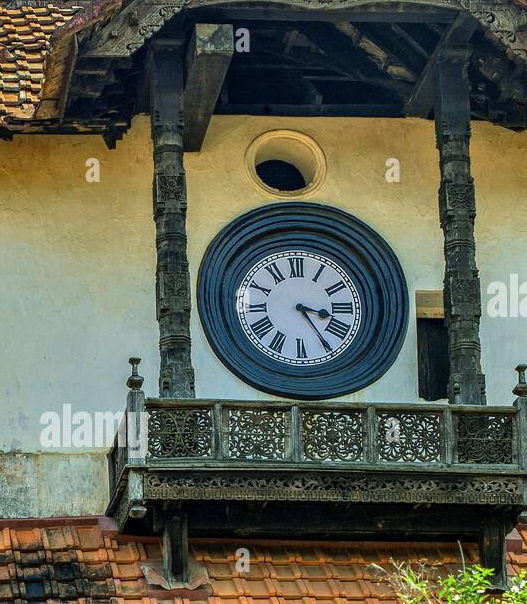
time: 3:24
